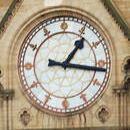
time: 1:16
